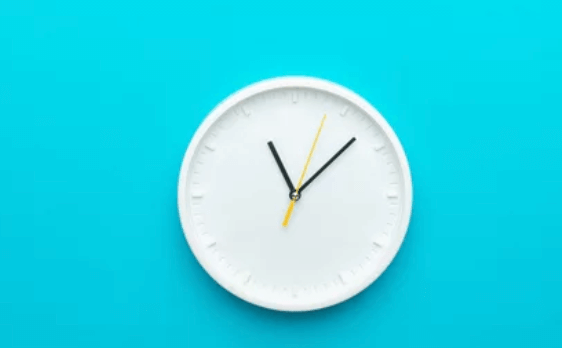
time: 11:07
